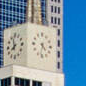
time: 4:32
